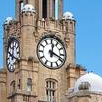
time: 12:18
